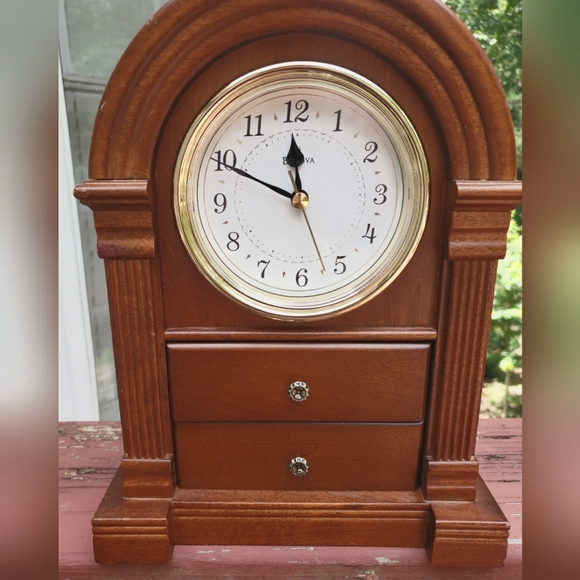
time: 11:49
